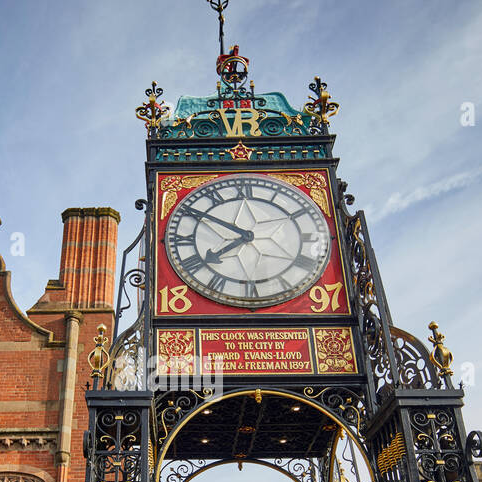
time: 7:50
